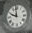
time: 11:48
